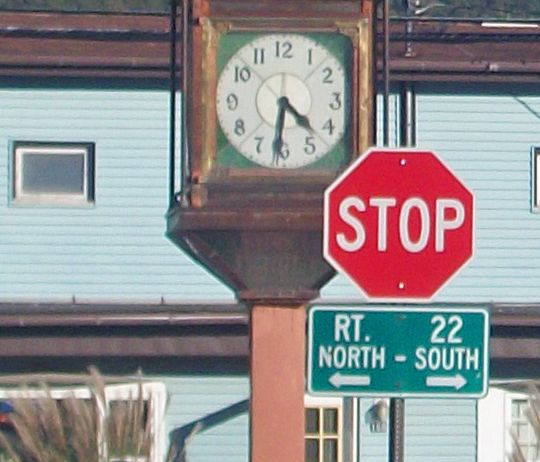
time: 4:31
